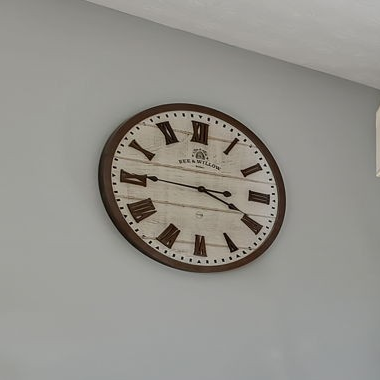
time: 3:45
